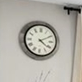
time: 4:10
